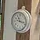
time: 11:17
